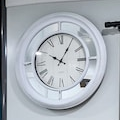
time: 10:05
